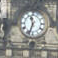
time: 11:33
